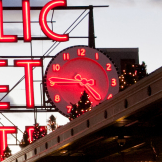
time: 4:45
